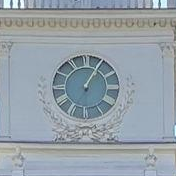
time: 1:05
